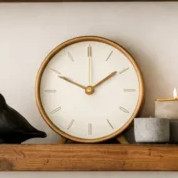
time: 1:49
